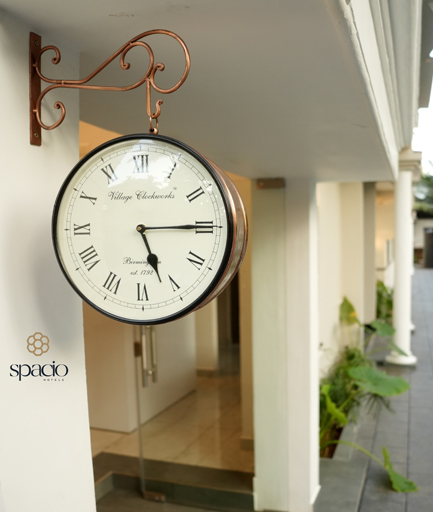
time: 5:14
